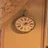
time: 7:12
